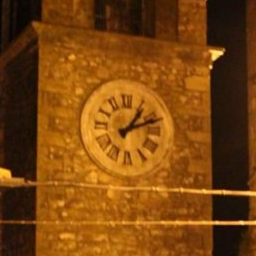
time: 1:11
